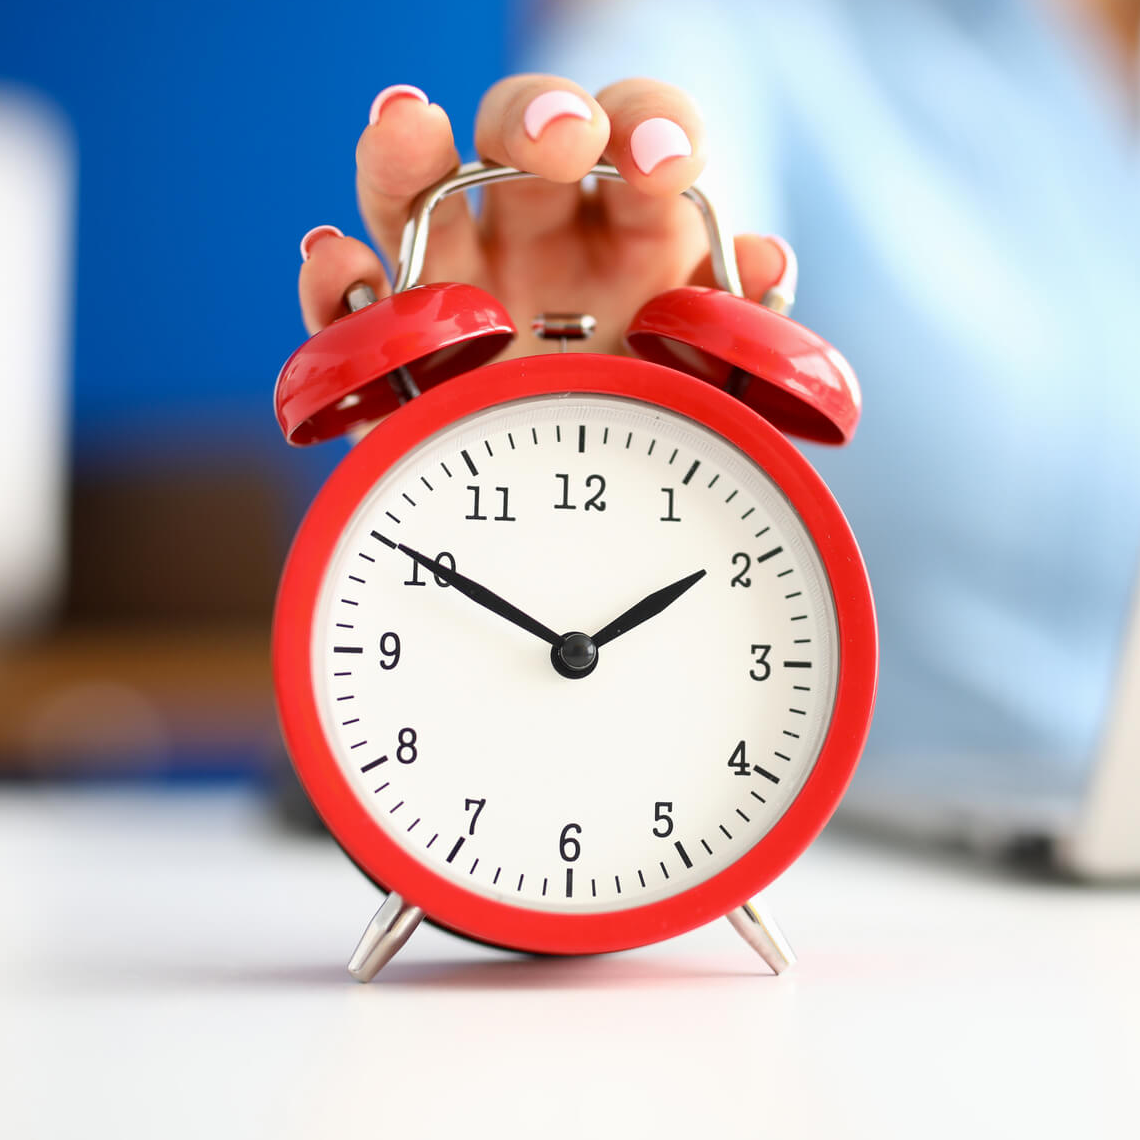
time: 1:50
